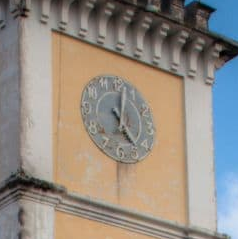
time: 5:01
